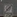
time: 1:37
